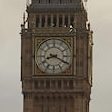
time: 8:19
